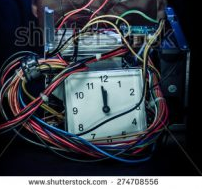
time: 11:58
